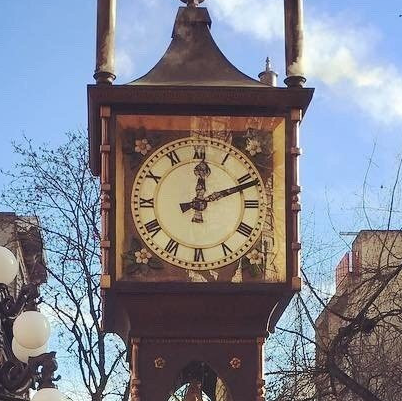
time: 12:11
